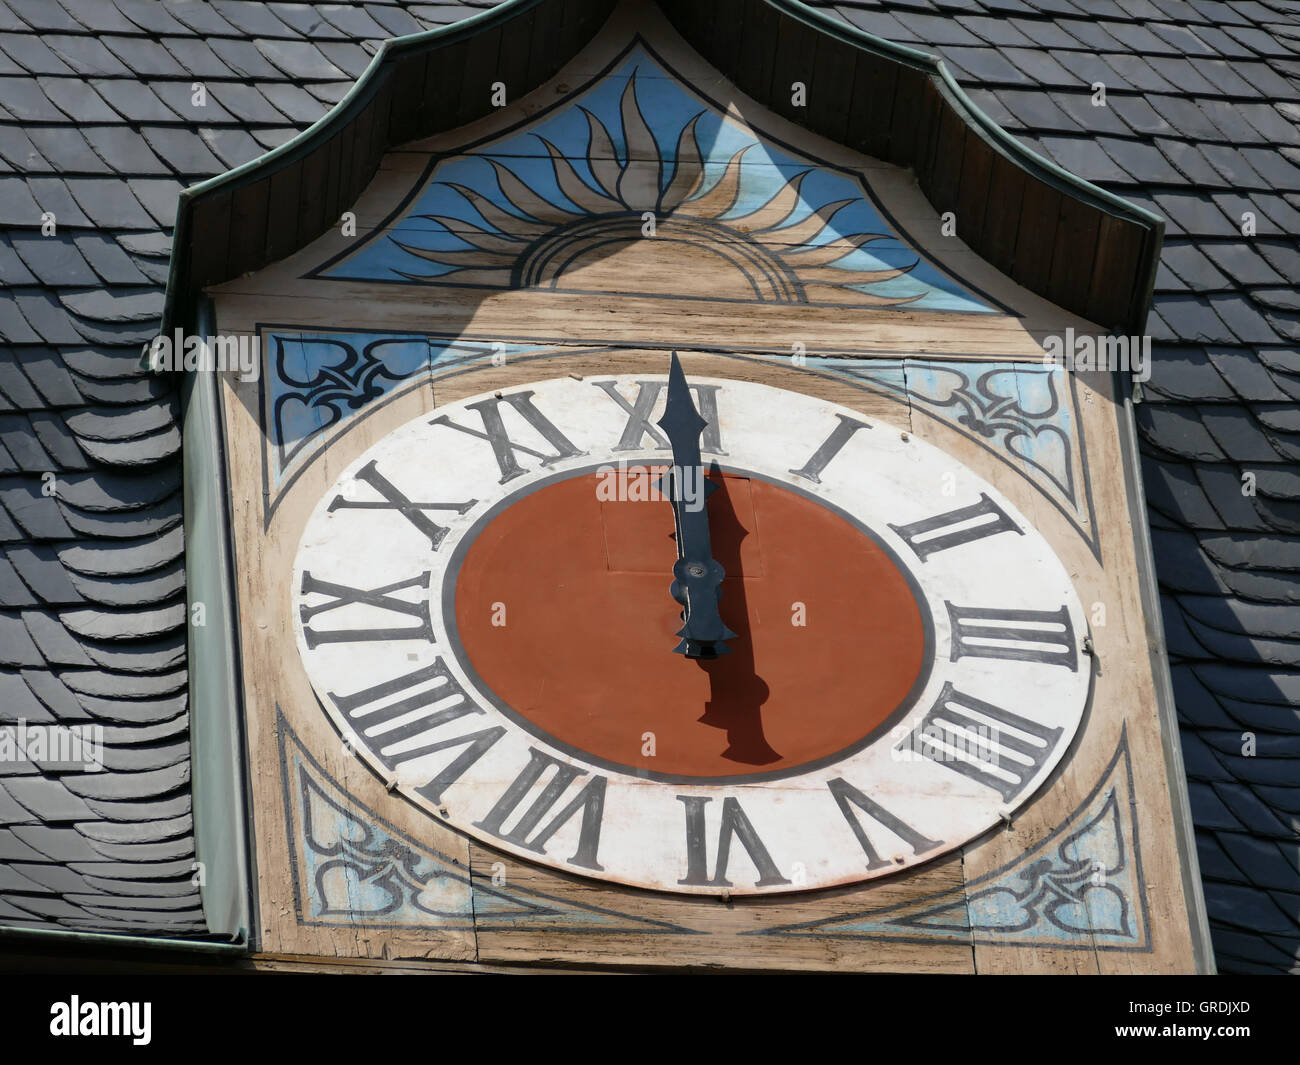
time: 12:00
